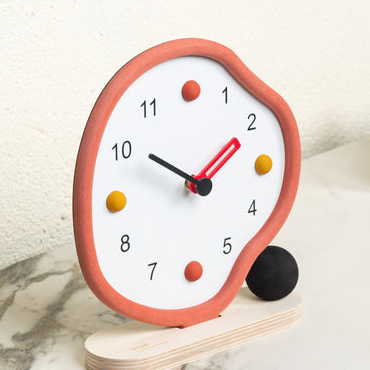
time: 1:50
